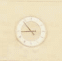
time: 8:53
